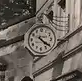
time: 4:21
